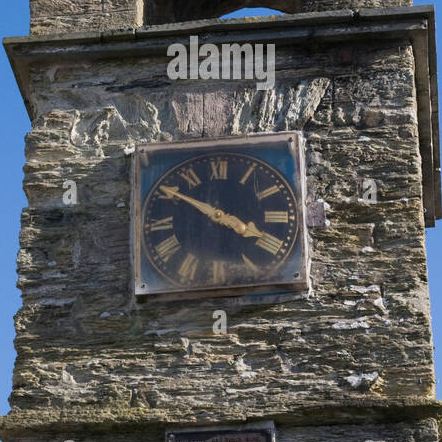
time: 3:50
